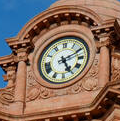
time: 5:10
